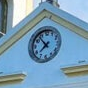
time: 7:53
